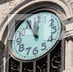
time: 11:55
